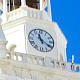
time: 11:20
